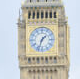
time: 1:33
